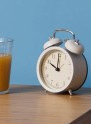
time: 10:00
